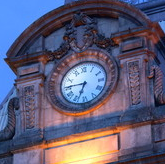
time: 6:45
